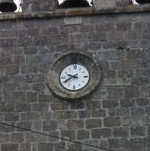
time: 9:39
